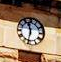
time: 11:32
